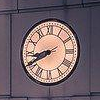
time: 8:40
